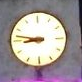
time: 8:47
